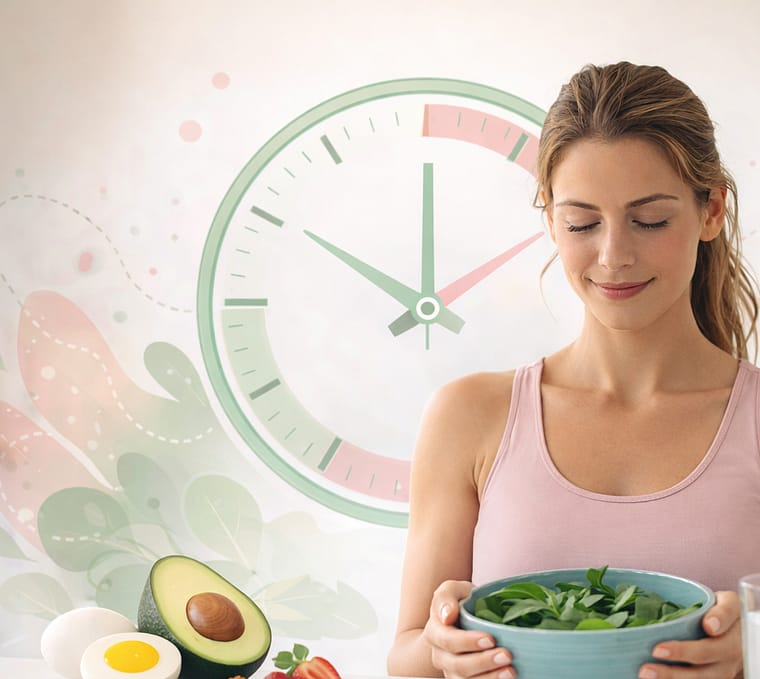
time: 10:00
